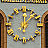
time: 12:07
